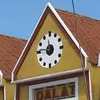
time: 11:46
